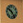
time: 4:50
